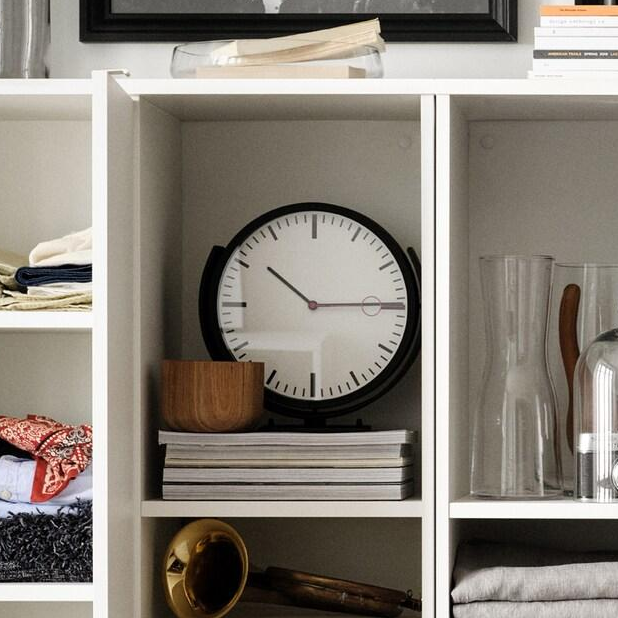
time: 10:14
